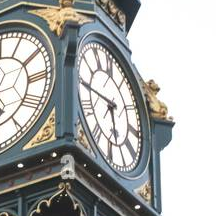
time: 5:45
